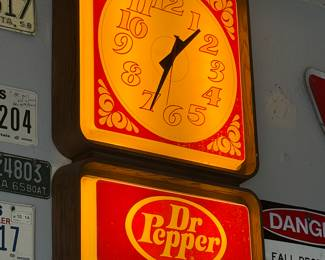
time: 1:34
